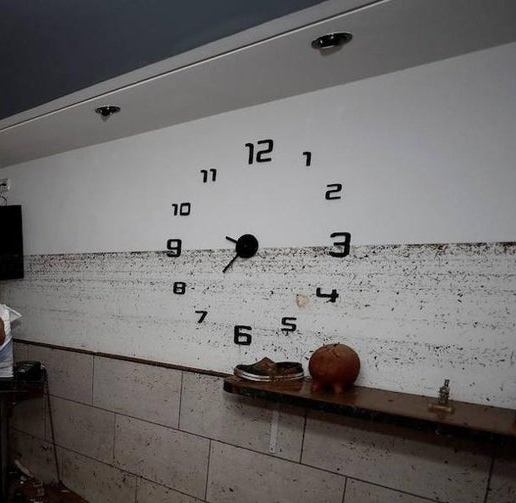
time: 7:15
